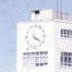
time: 4:21
